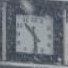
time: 10:28
